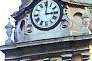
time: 3:00
